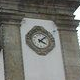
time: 4:07
